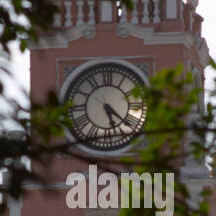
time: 5:21
